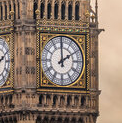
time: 1:59
